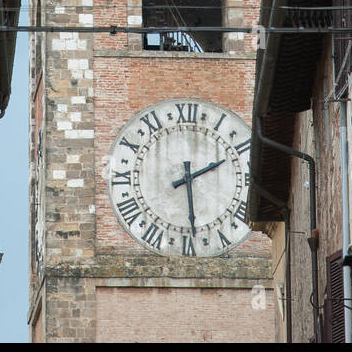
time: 2:29
